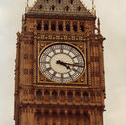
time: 4:16
